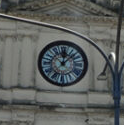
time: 12:07
